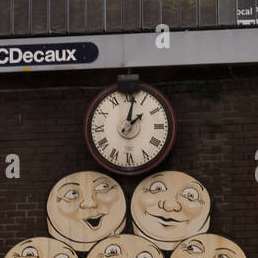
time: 2:01
